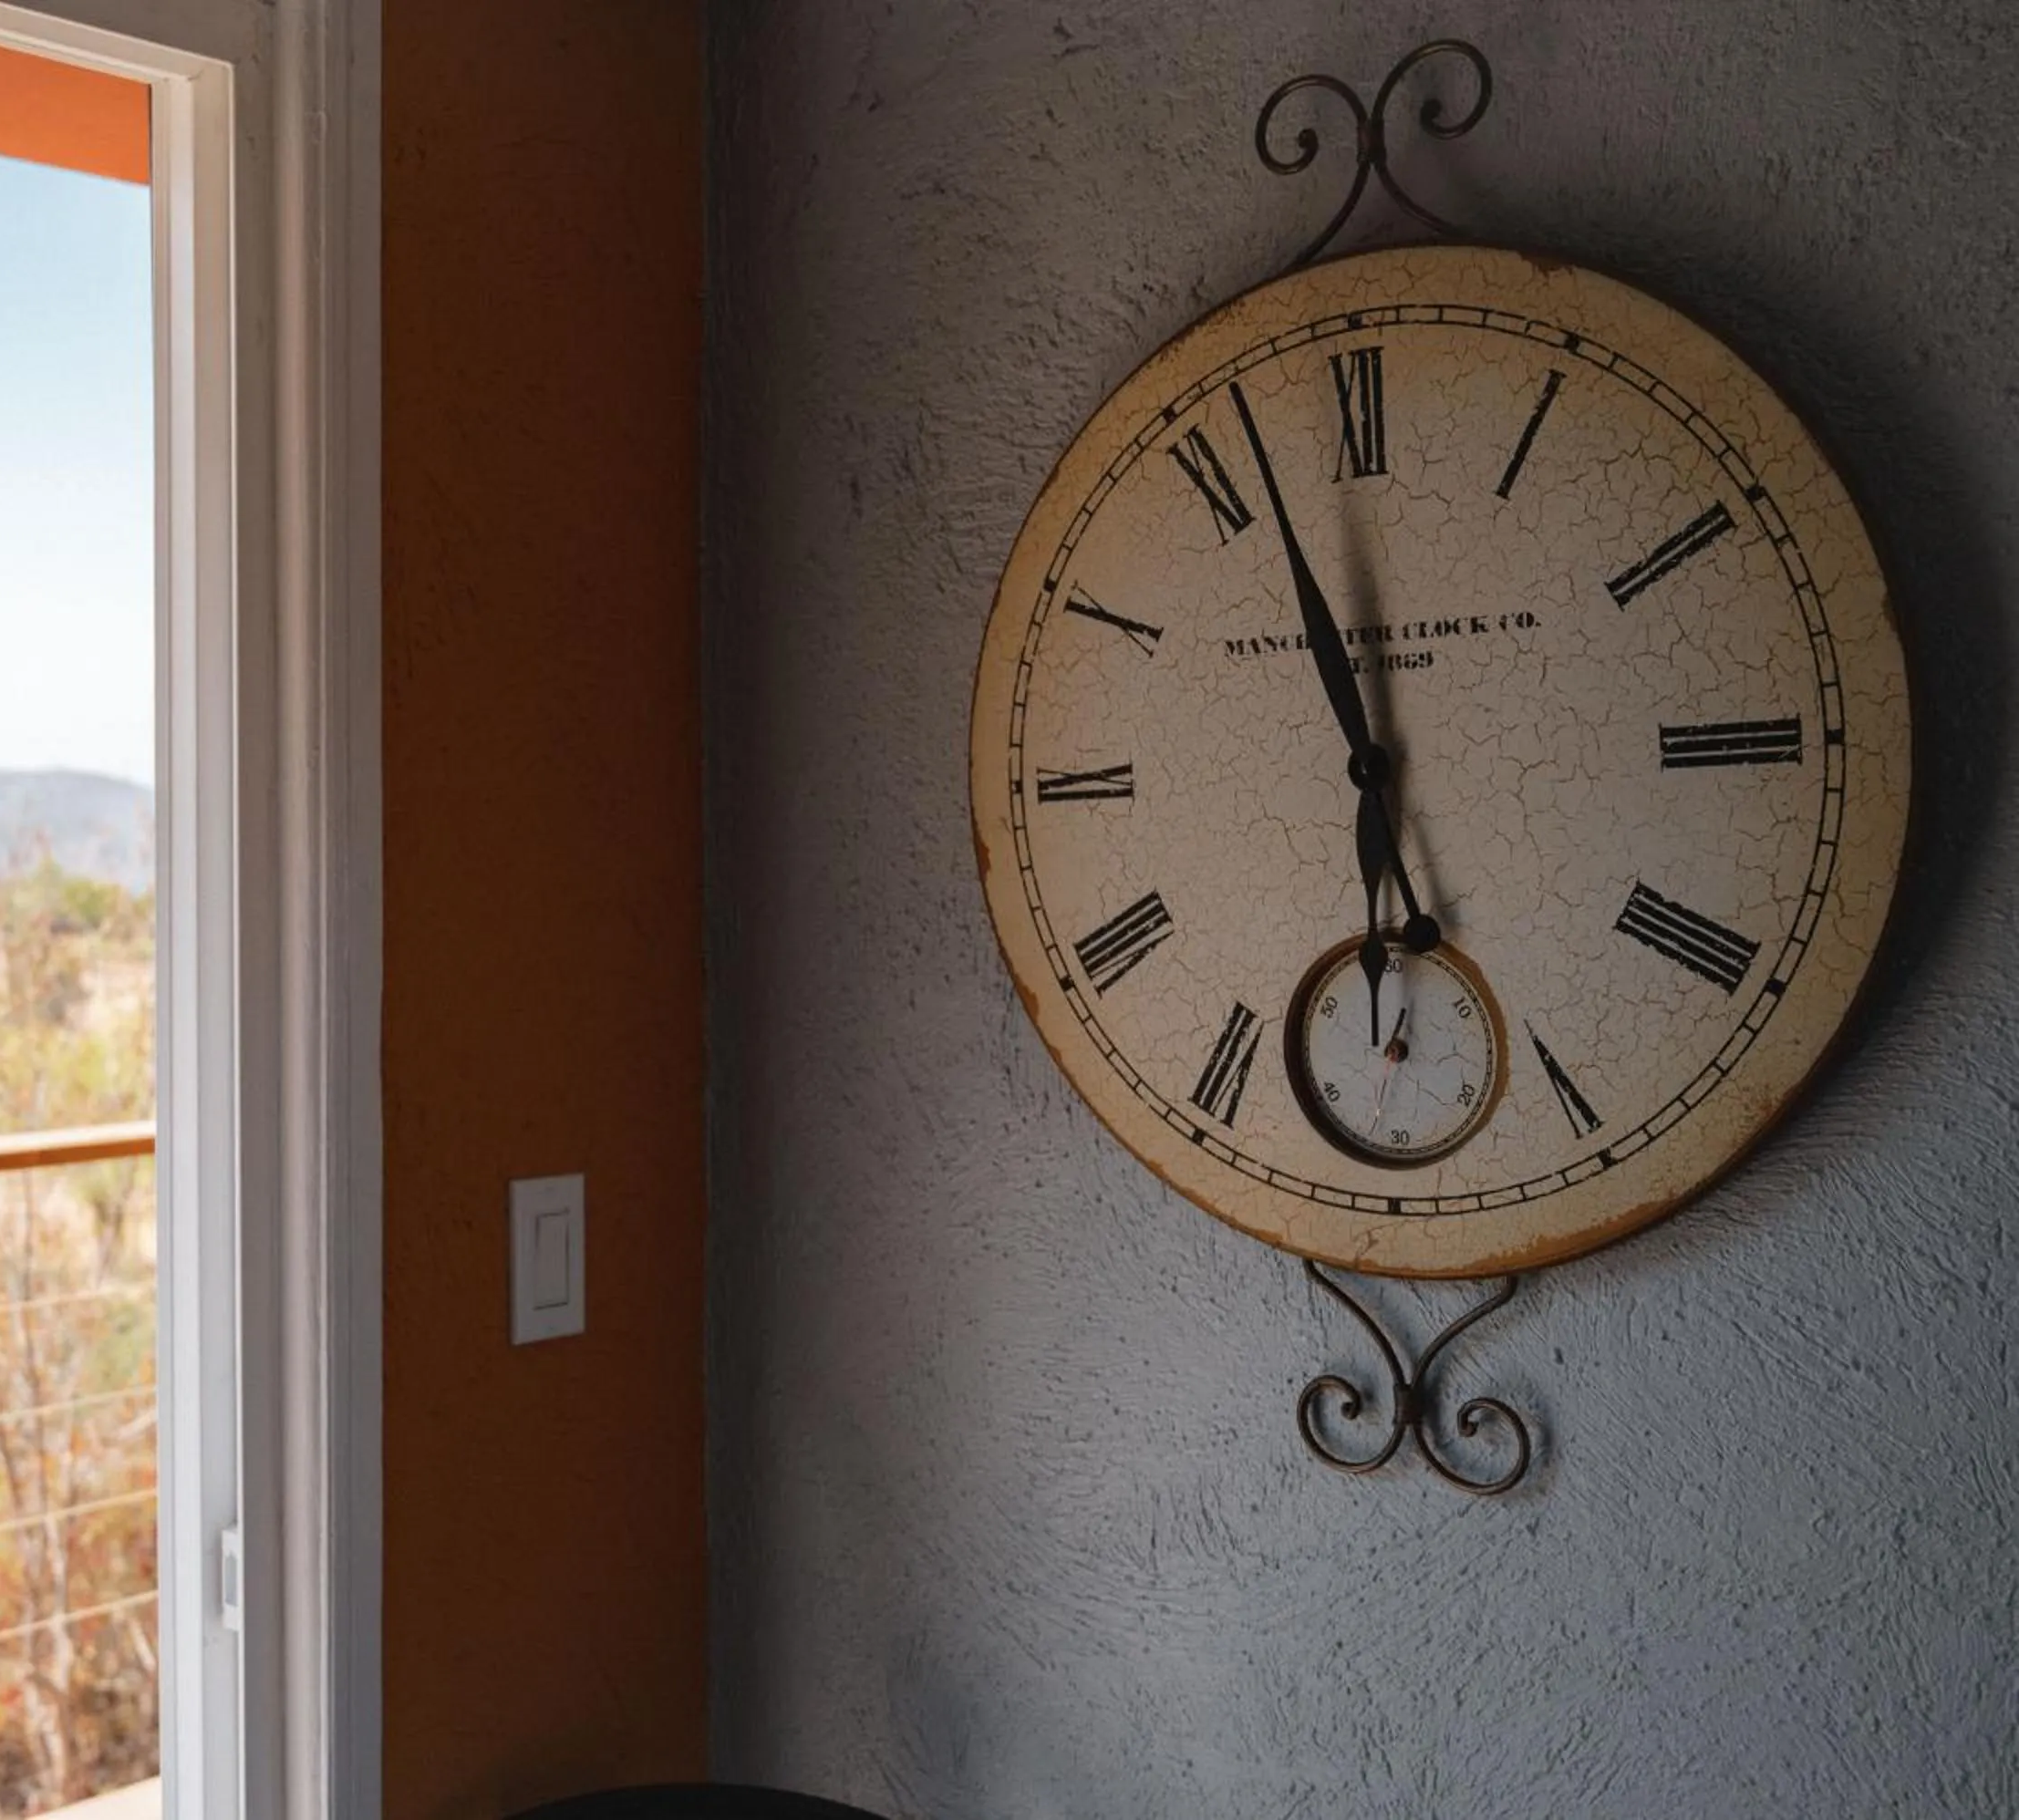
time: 5:56
